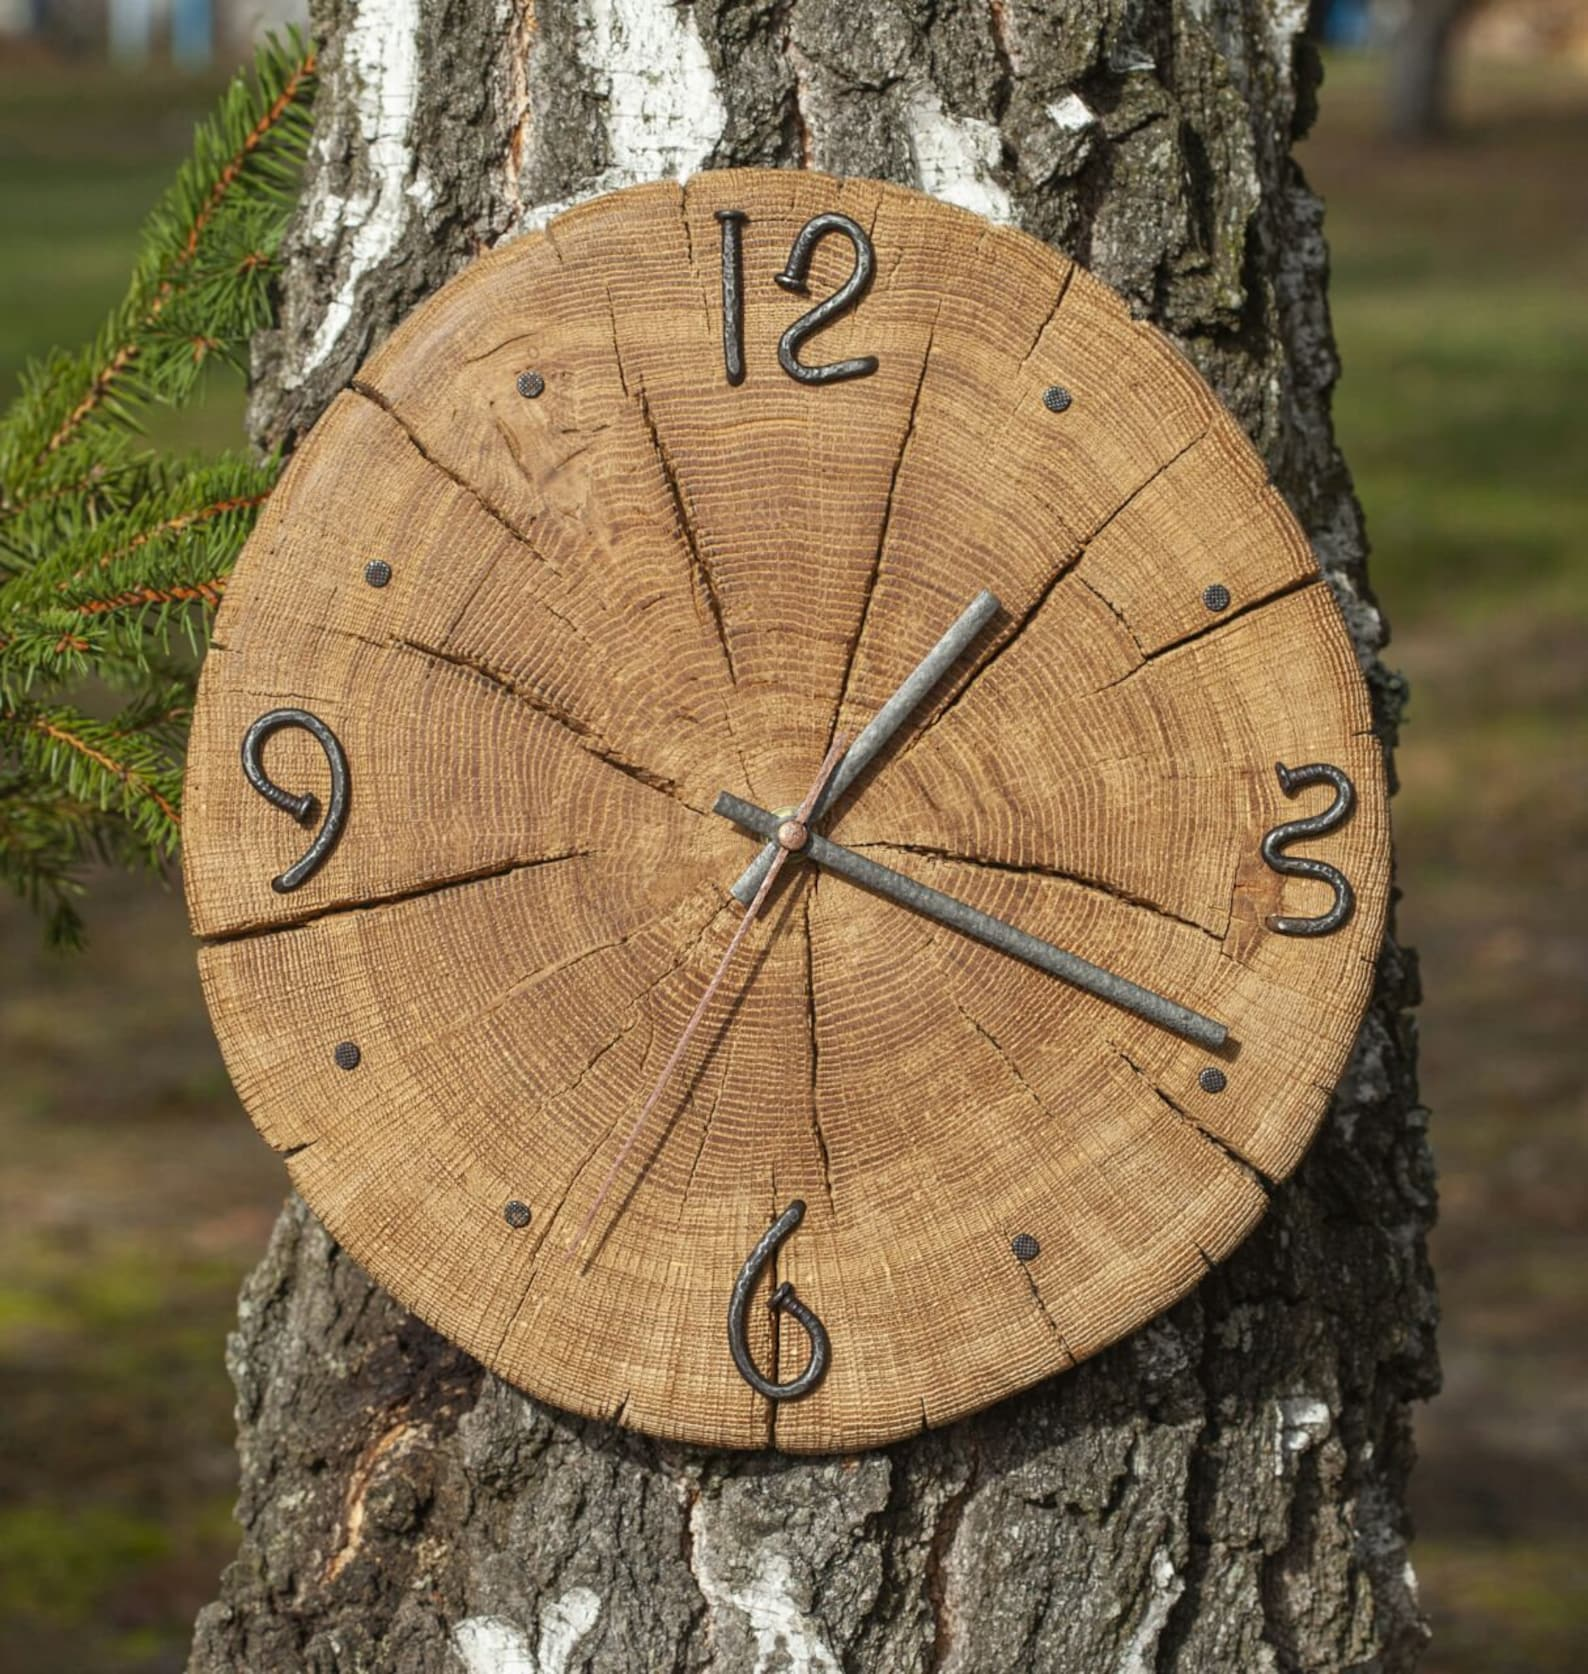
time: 1:18
